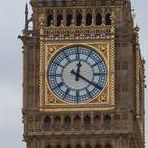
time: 12:20
